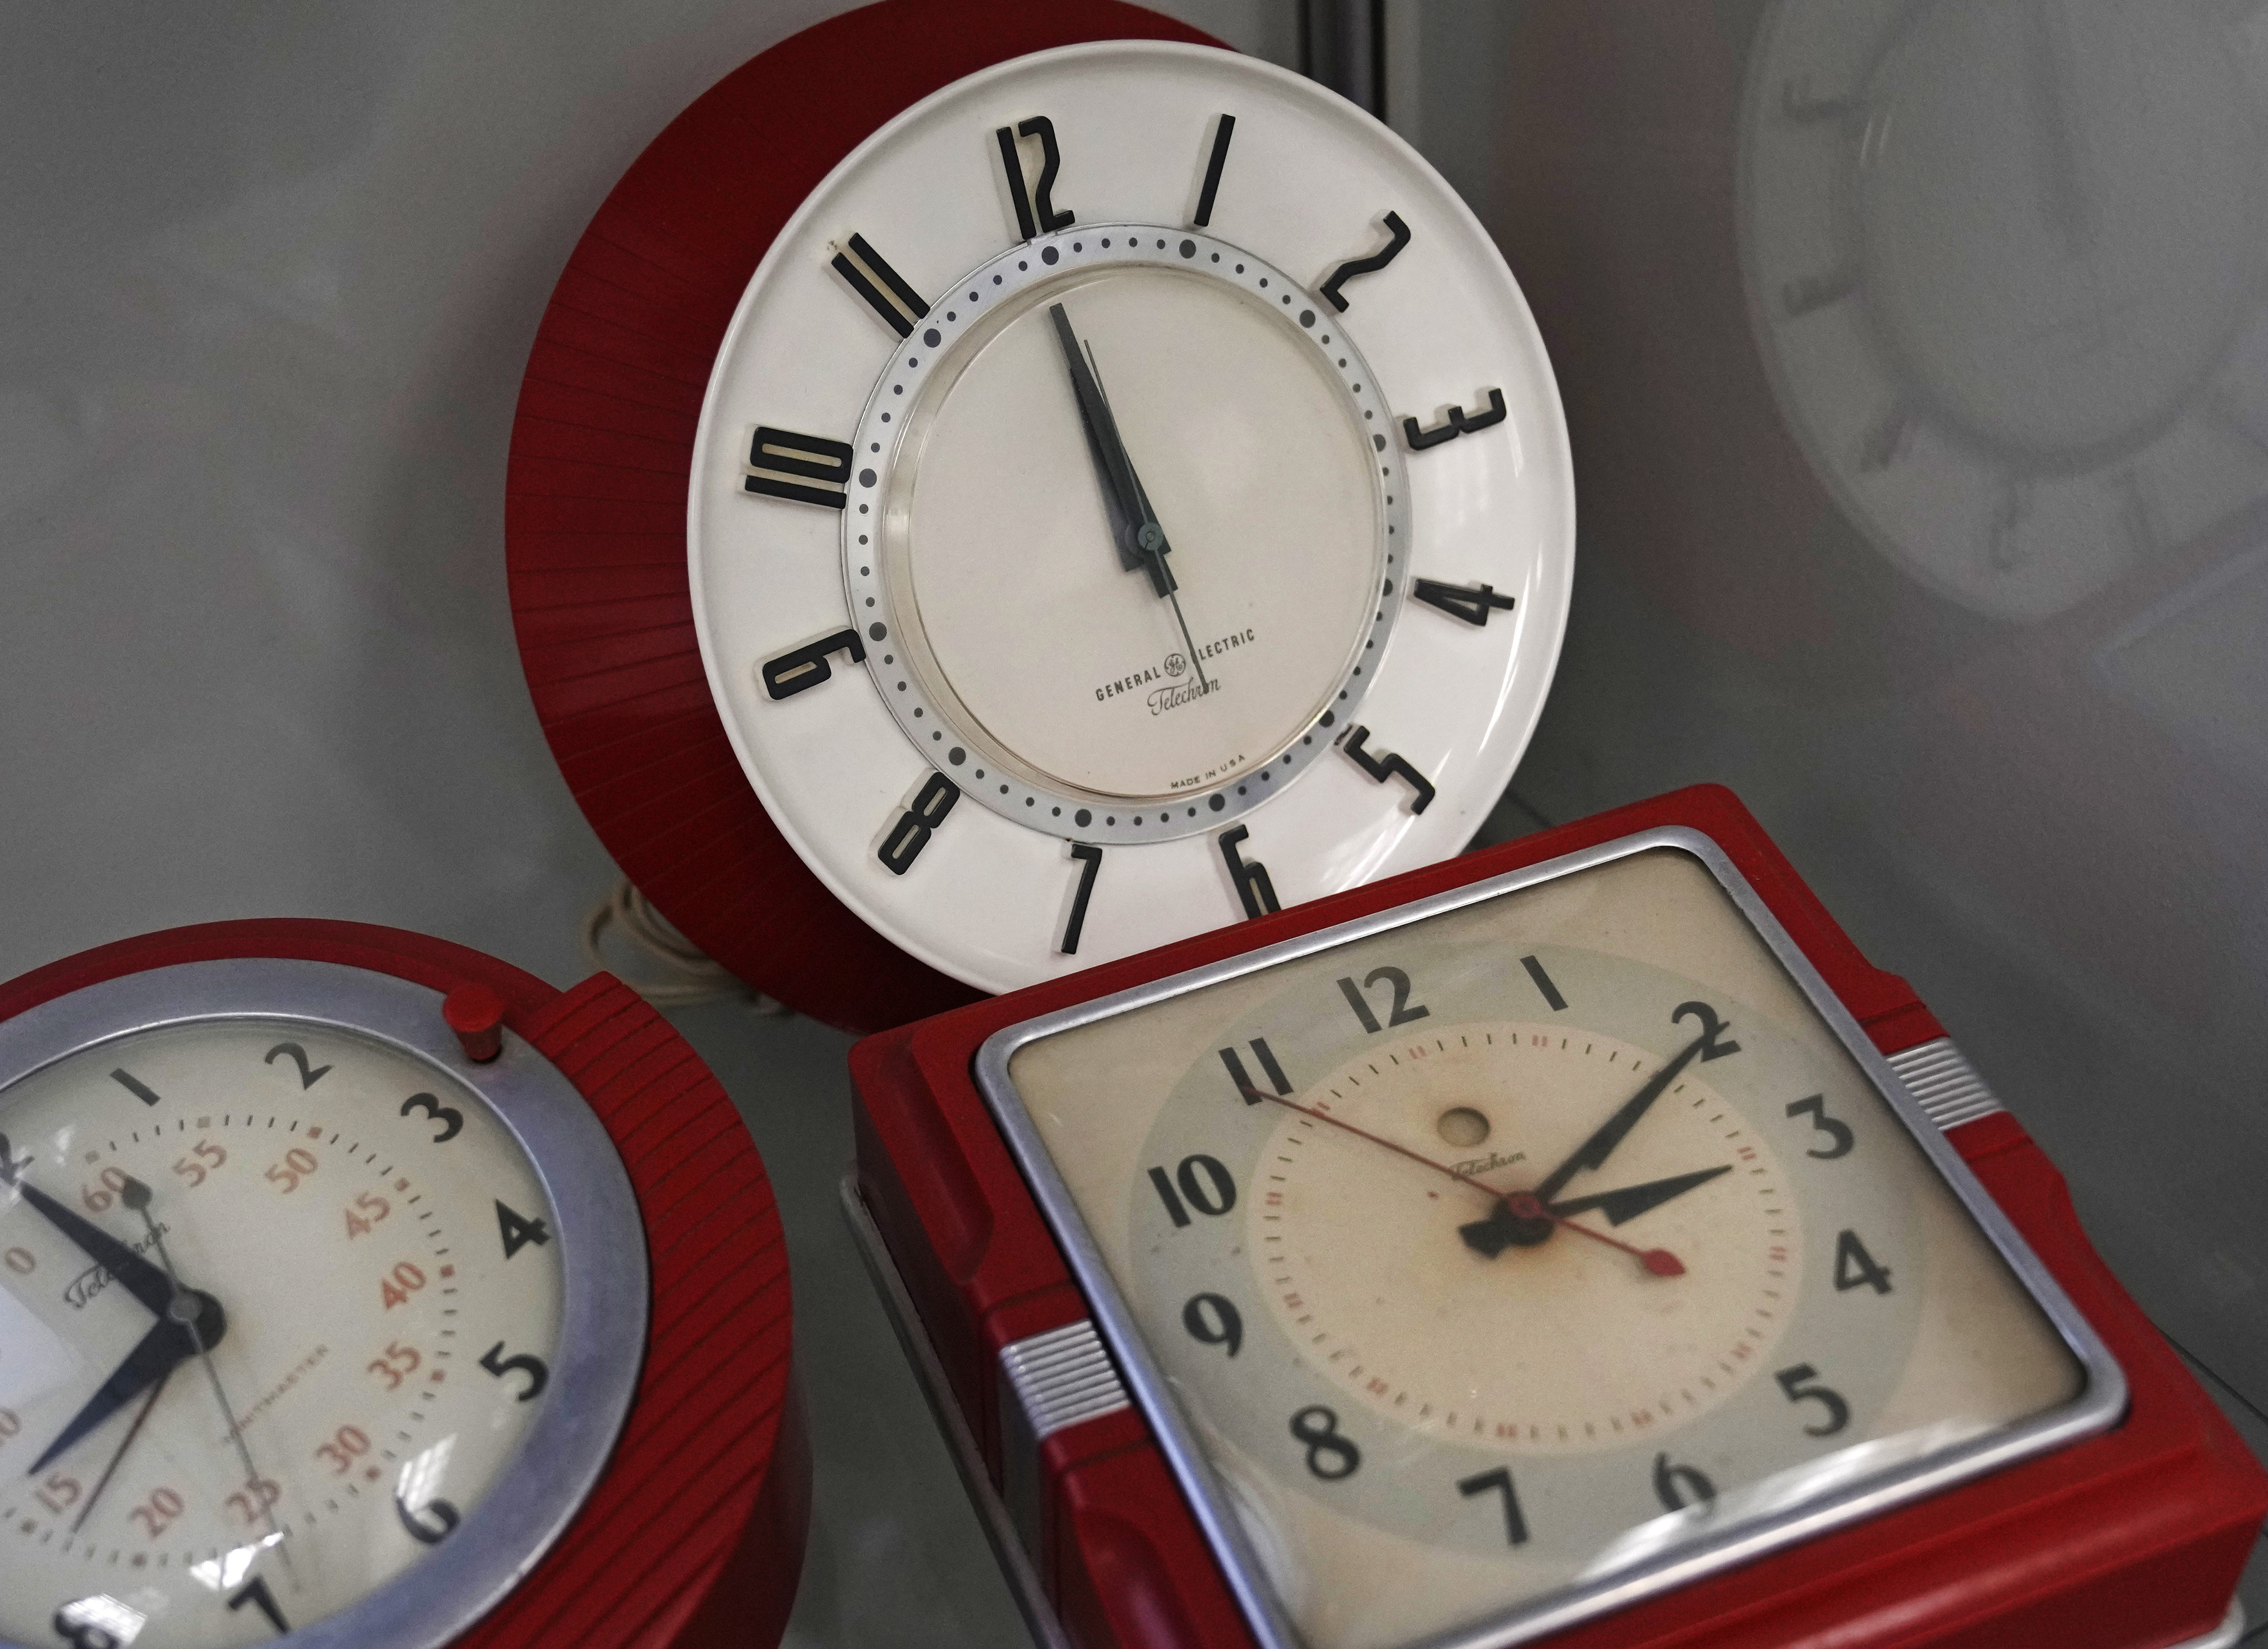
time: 10:54
